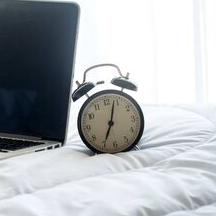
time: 7:03
